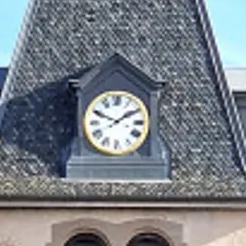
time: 1:49
